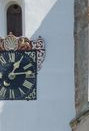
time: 1:13
